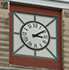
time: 3:09
